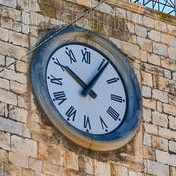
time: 10:06
